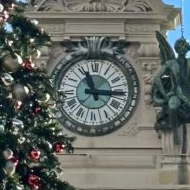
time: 11:15
